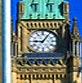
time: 9:05
